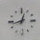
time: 12:42
